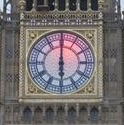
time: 5:59
